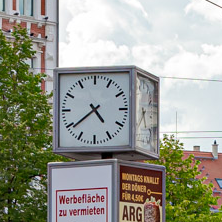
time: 4:38
